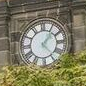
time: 1:23
